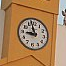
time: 8:57
